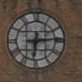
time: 6:14
